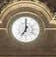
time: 7:00
